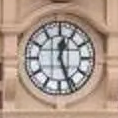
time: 12:26
